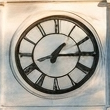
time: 1:14
